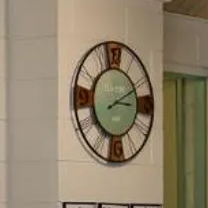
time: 3:10
